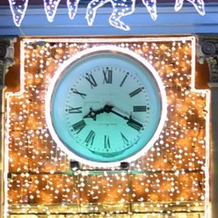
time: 8:19
